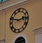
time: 2:48
